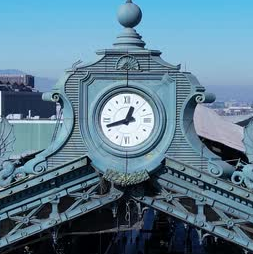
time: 12:42
